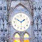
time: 1:50
